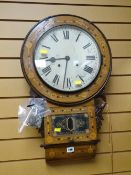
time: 8:31
